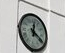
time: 12:20
